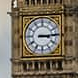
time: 3:14
